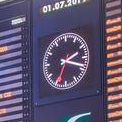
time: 2:18
